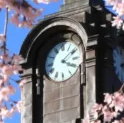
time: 4:09
